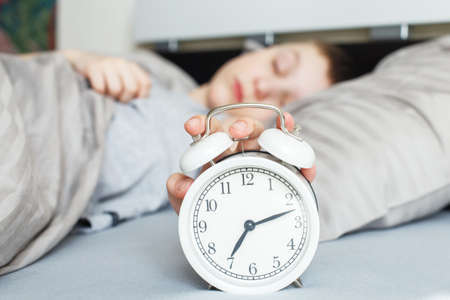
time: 7:12
